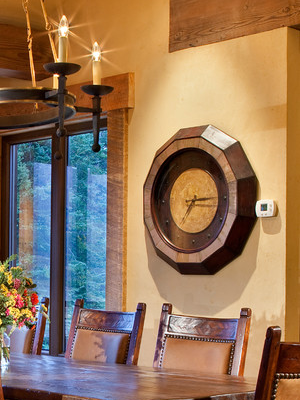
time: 7:15
